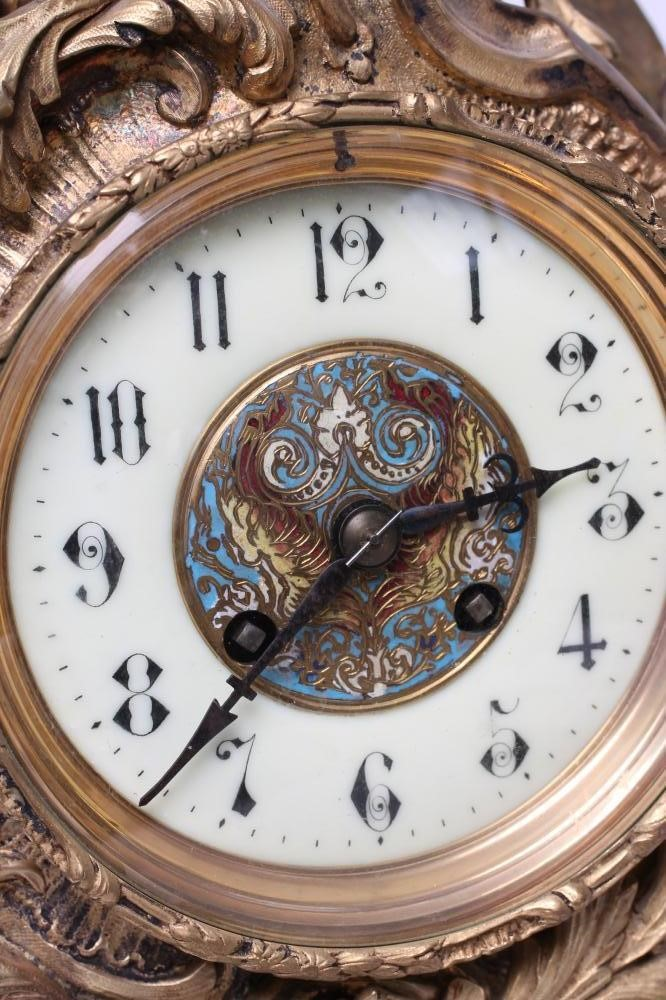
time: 2:37
